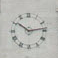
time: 10:13
